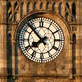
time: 7:52
